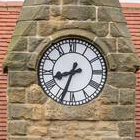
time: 8:33
